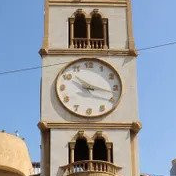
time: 10:17
